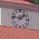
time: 1:46
